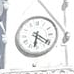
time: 6:20
